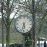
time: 5:32
